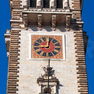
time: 9:01
